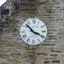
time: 3:52
